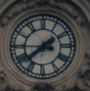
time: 7:45
